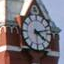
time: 4:12
